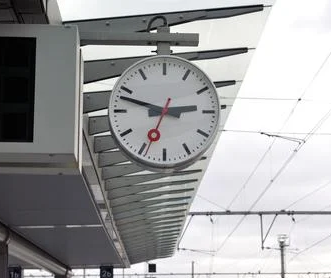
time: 2:48
